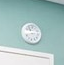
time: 10:42
